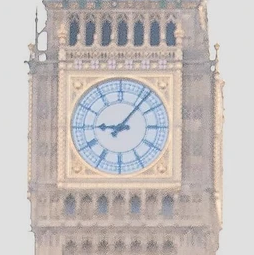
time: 9:06
